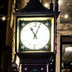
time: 11:03
